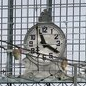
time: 11:20
